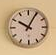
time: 10:04
